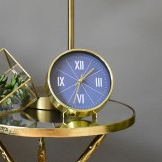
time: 1:32
